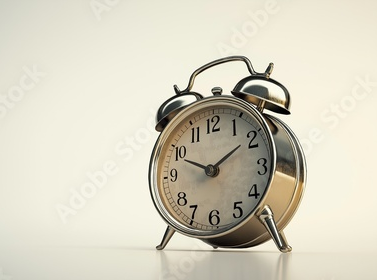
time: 1:48
